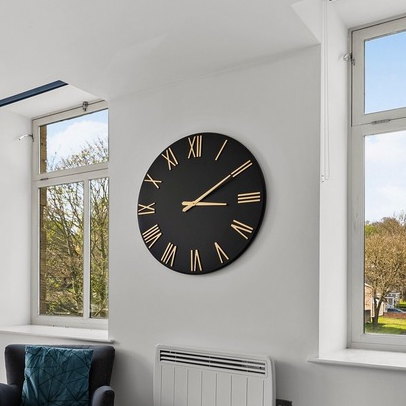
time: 3:09
